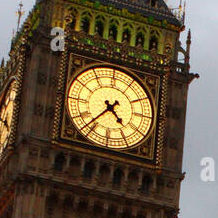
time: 4:36
